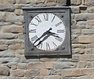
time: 3:38
